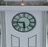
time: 5:45
